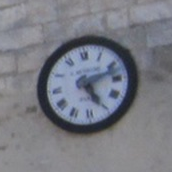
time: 5:12
